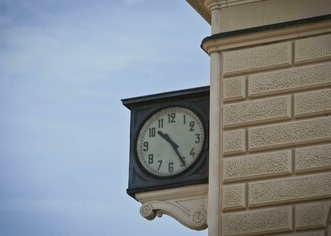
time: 10:24
